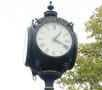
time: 1:18
